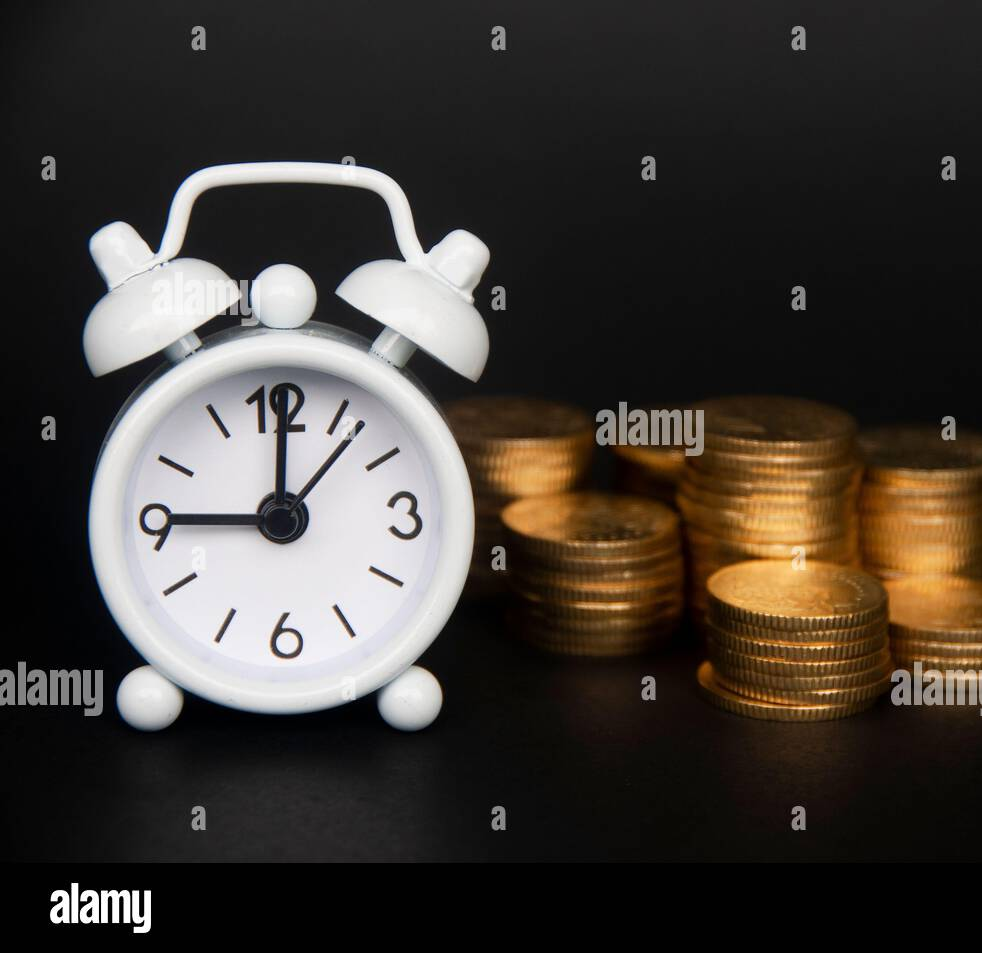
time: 9:00
